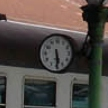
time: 5:29
